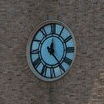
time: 12:23
